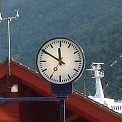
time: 11:50
